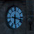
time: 6:18
